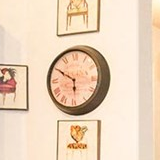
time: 5:49
